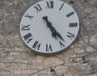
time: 5:23
